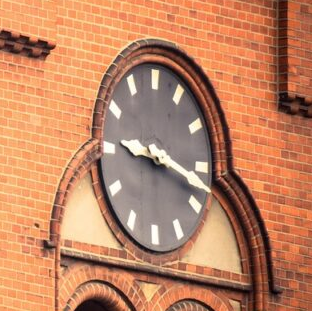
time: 9:17
